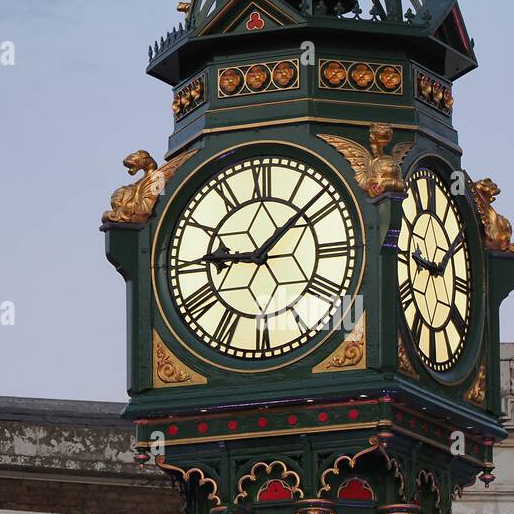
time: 9:07
